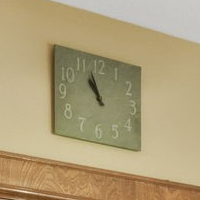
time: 10:56
